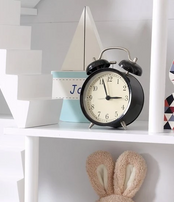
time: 2:56
